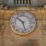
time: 10:27
